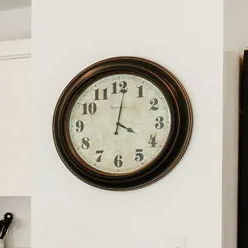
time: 4:01
